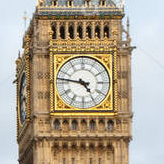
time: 4:46
